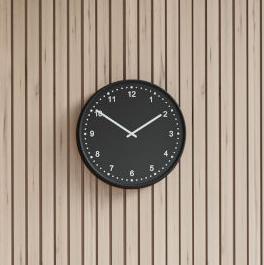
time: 1:50
